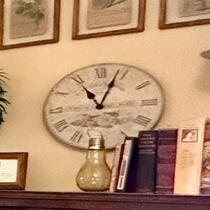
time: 11:03
